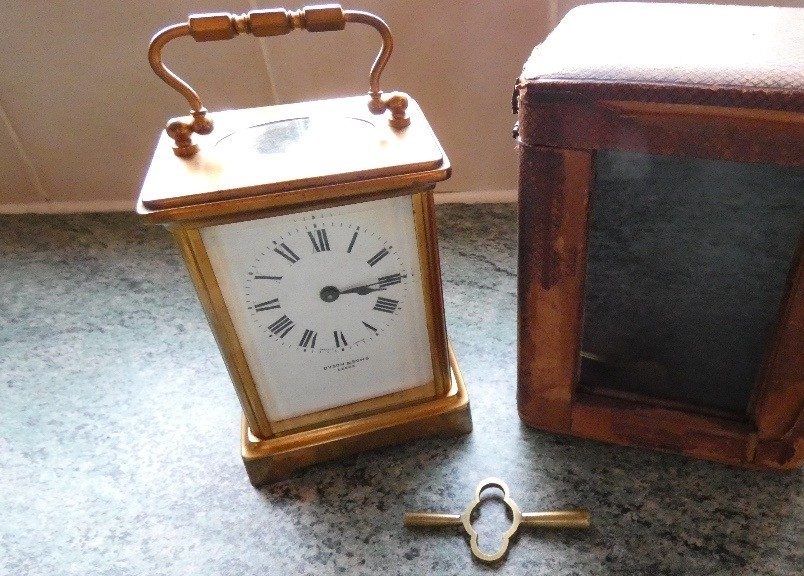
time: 3:13
